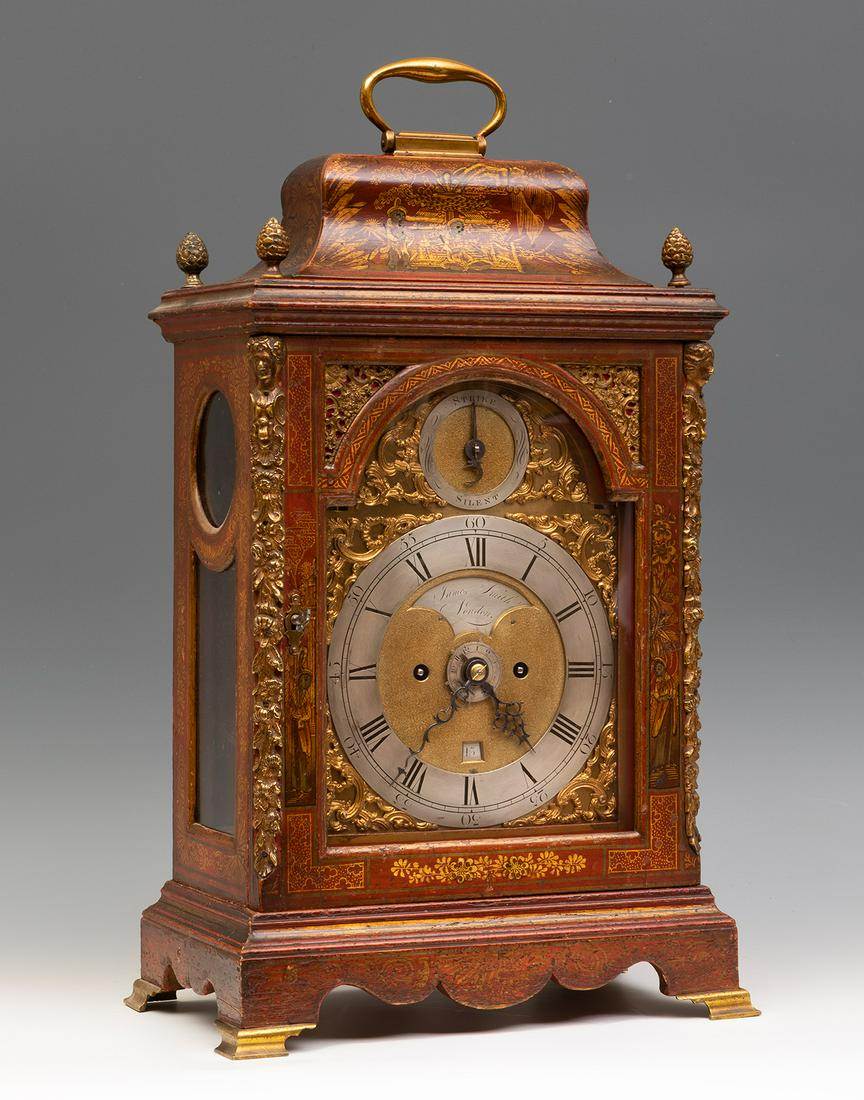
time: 4:36
